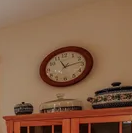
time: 11:13
